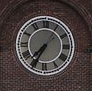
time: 7:34
